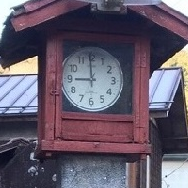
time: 8:59
